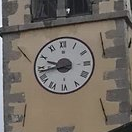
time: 9:43
